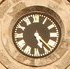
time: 5:22
